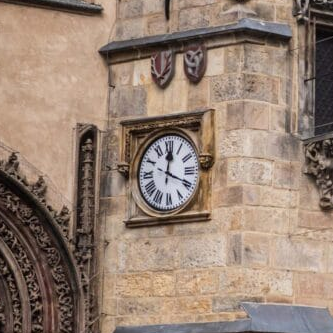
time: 12:19
